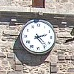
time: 2:23
